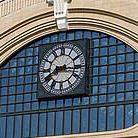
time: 8:16
